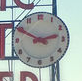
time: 2:49
